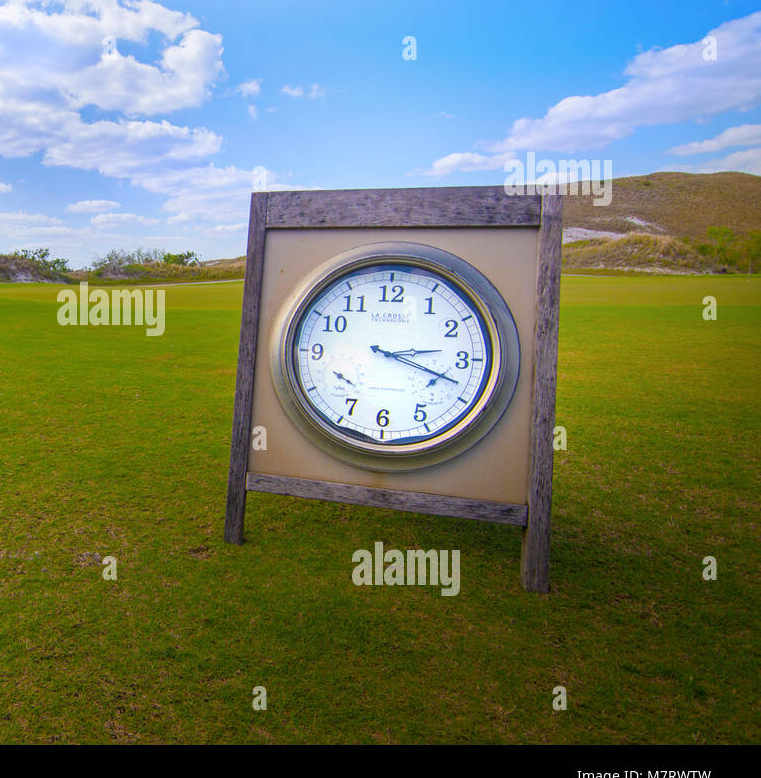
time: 3:18
